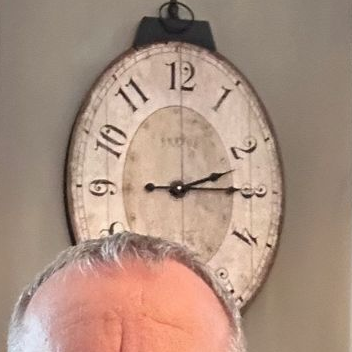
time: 2:15
